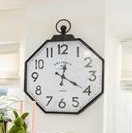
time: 12:20
